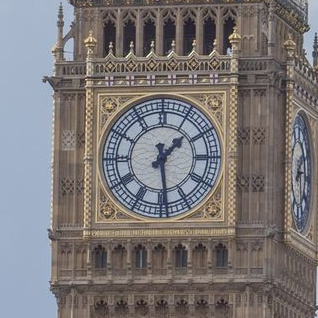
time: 1:28
